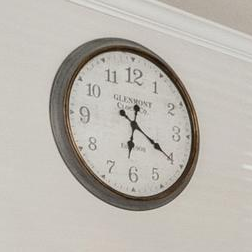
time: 6:20
